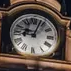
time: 9:03
